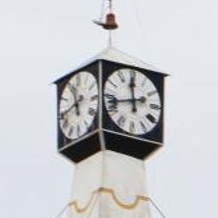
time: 11:42
